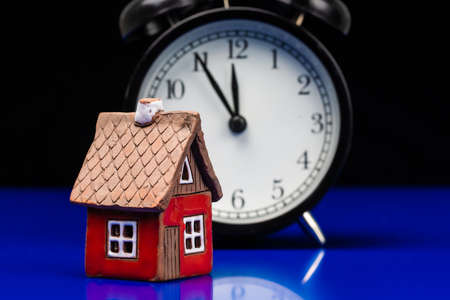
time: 11:54
